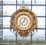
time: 12:37
